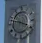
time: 3:47
